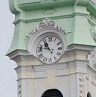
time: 10:47
